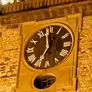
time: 6:58
